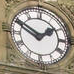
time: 1:50
